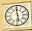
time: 5:59
